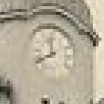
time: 7:59
